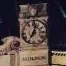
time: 7:03
